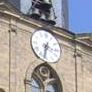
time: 3:32
